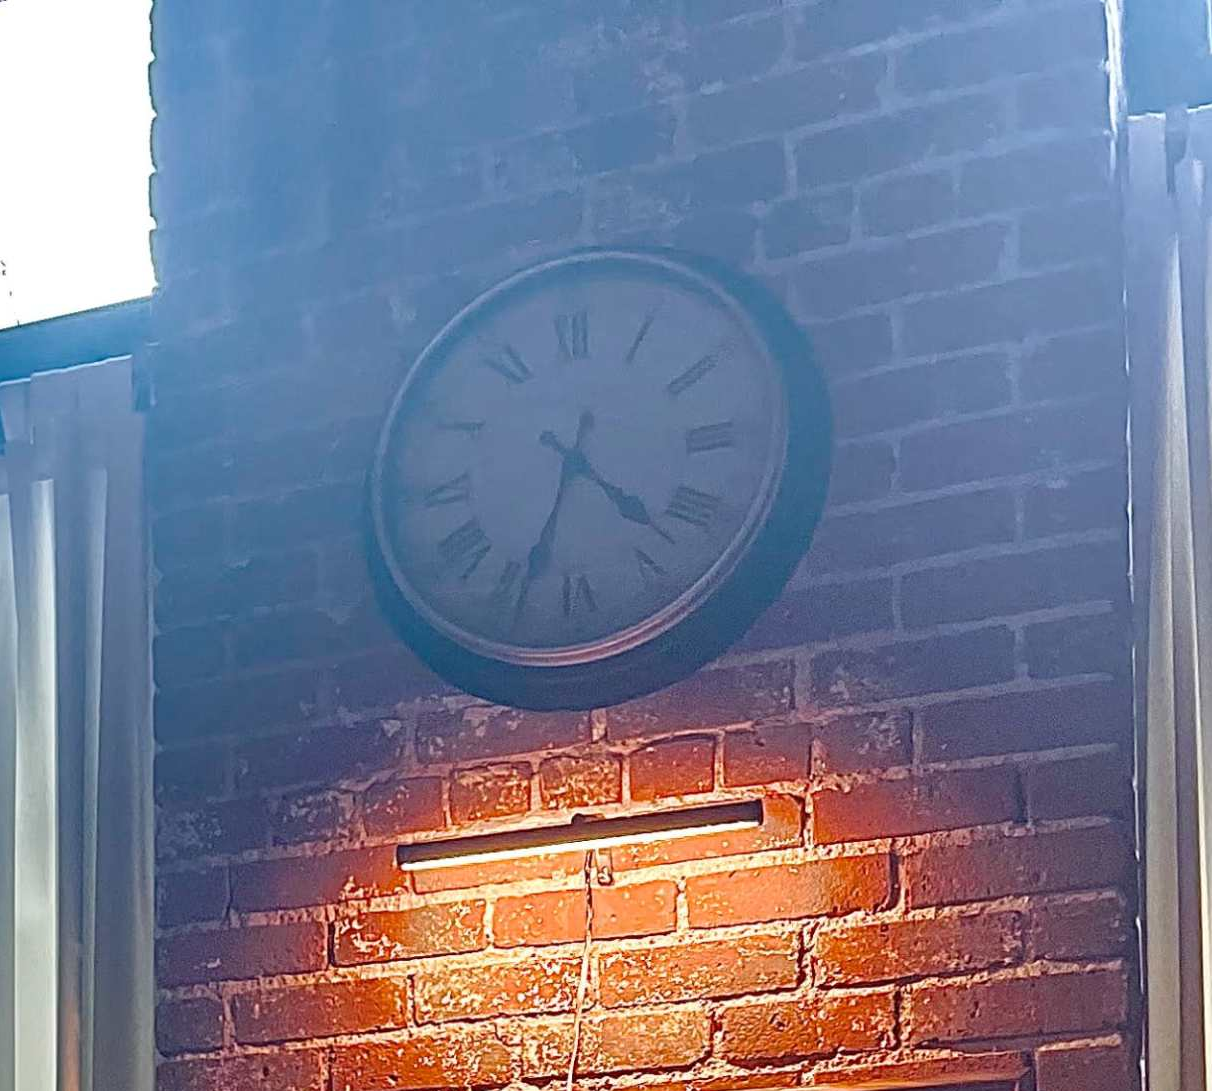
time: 4:33
